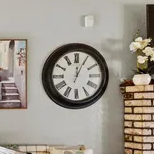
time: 12:04
